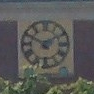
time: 1:50
